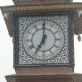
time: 7:00
